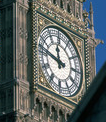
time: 11:46
